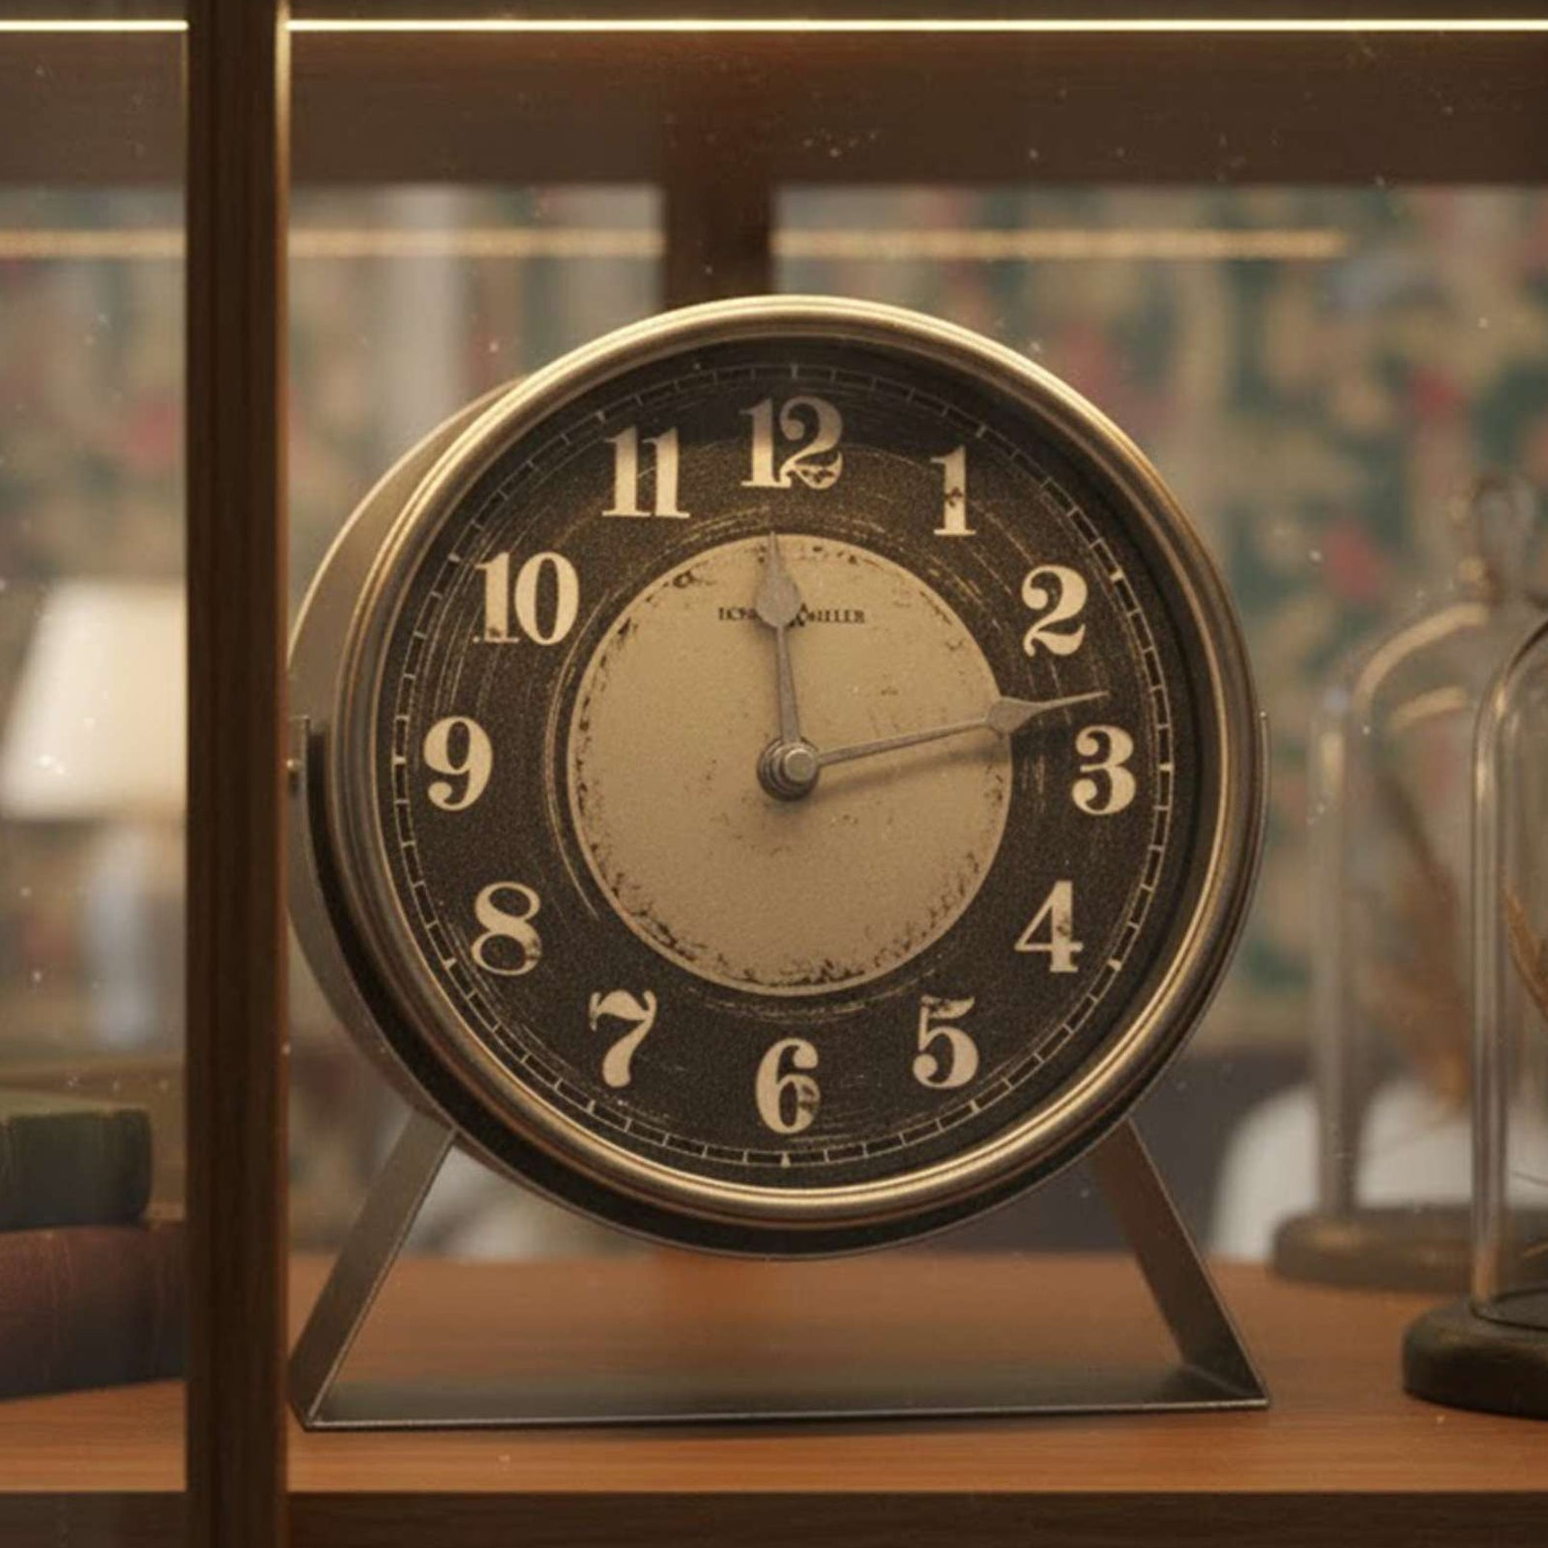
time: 12:13
